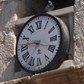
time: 9:18
